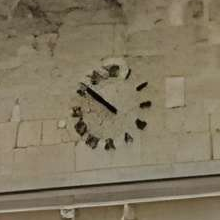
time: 9:51
